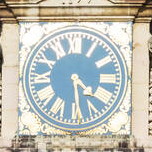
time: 4:28
